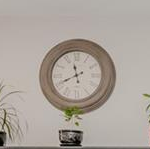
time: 11:41
